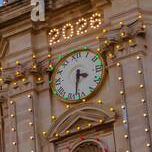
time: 3:32
